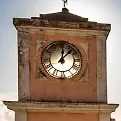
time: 12:07
